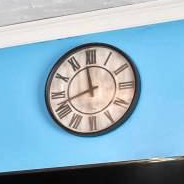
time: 11:41
